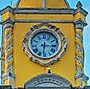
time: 6:15
